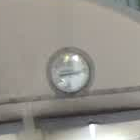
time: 8:12
